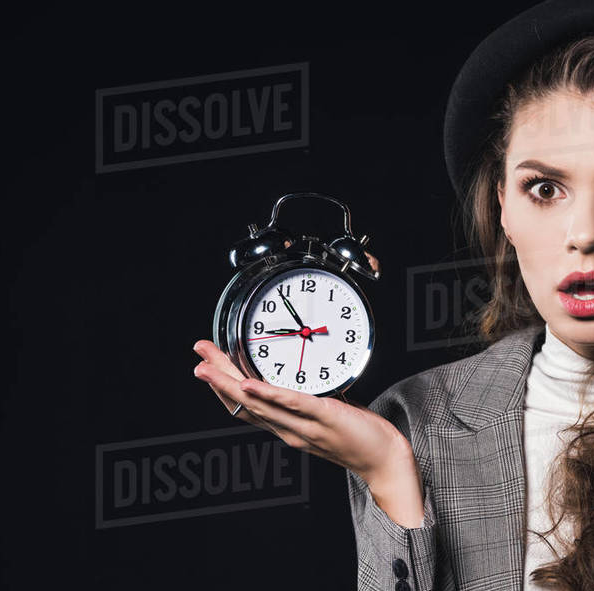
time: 8:53
